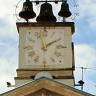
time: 1:57
